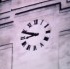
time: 8:48
